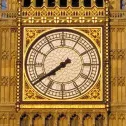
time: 7:39
